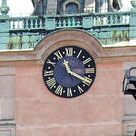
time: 11:19
